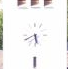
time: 5:40
